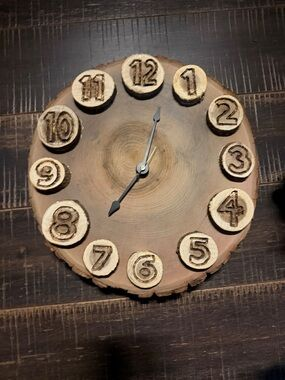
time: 12:37
